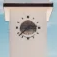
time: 2:38
